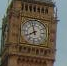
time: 7:57
